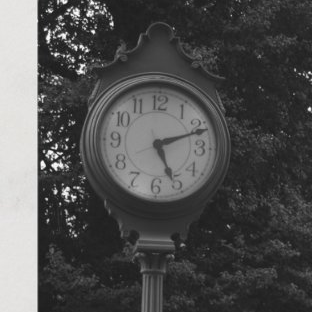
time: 5:11
